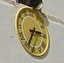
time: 2:35
